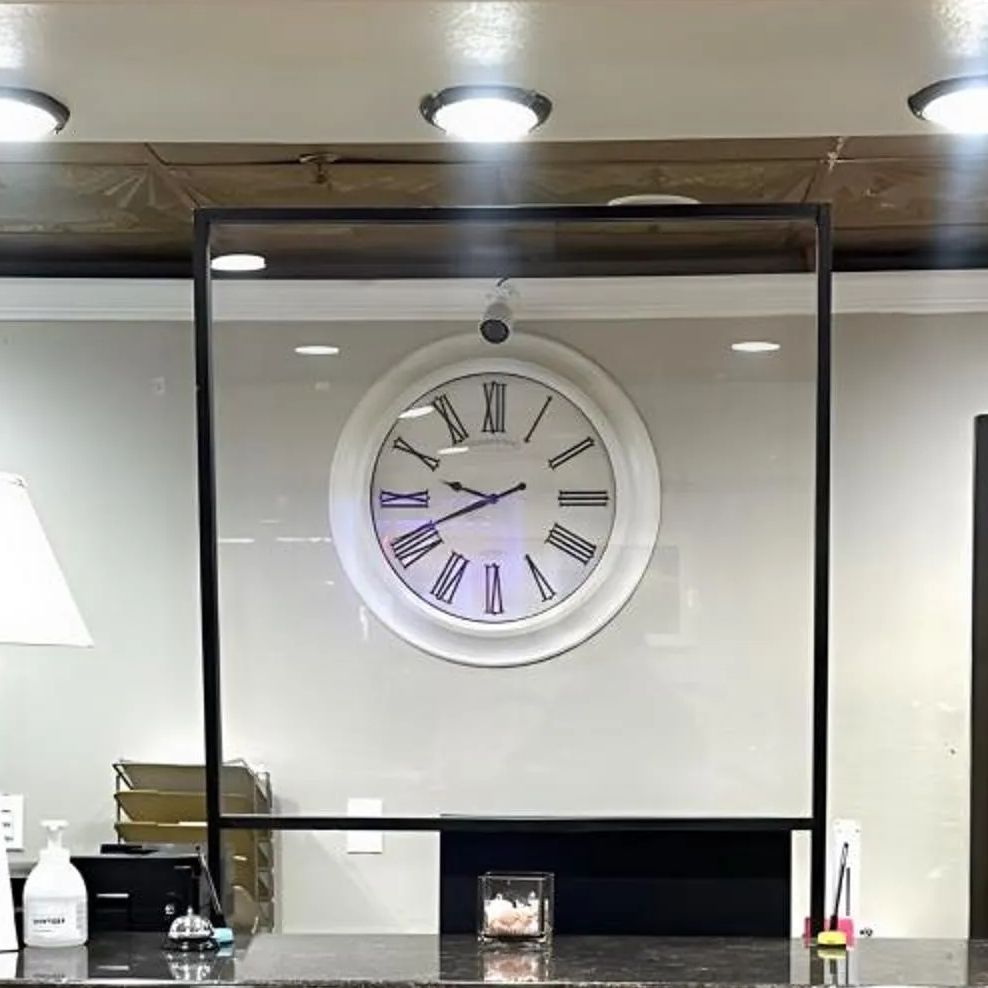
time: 9:41
